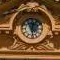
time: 12:28
